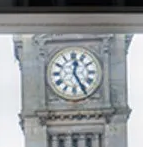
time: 12:24
